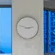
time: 2:48
